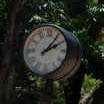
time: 2:06
